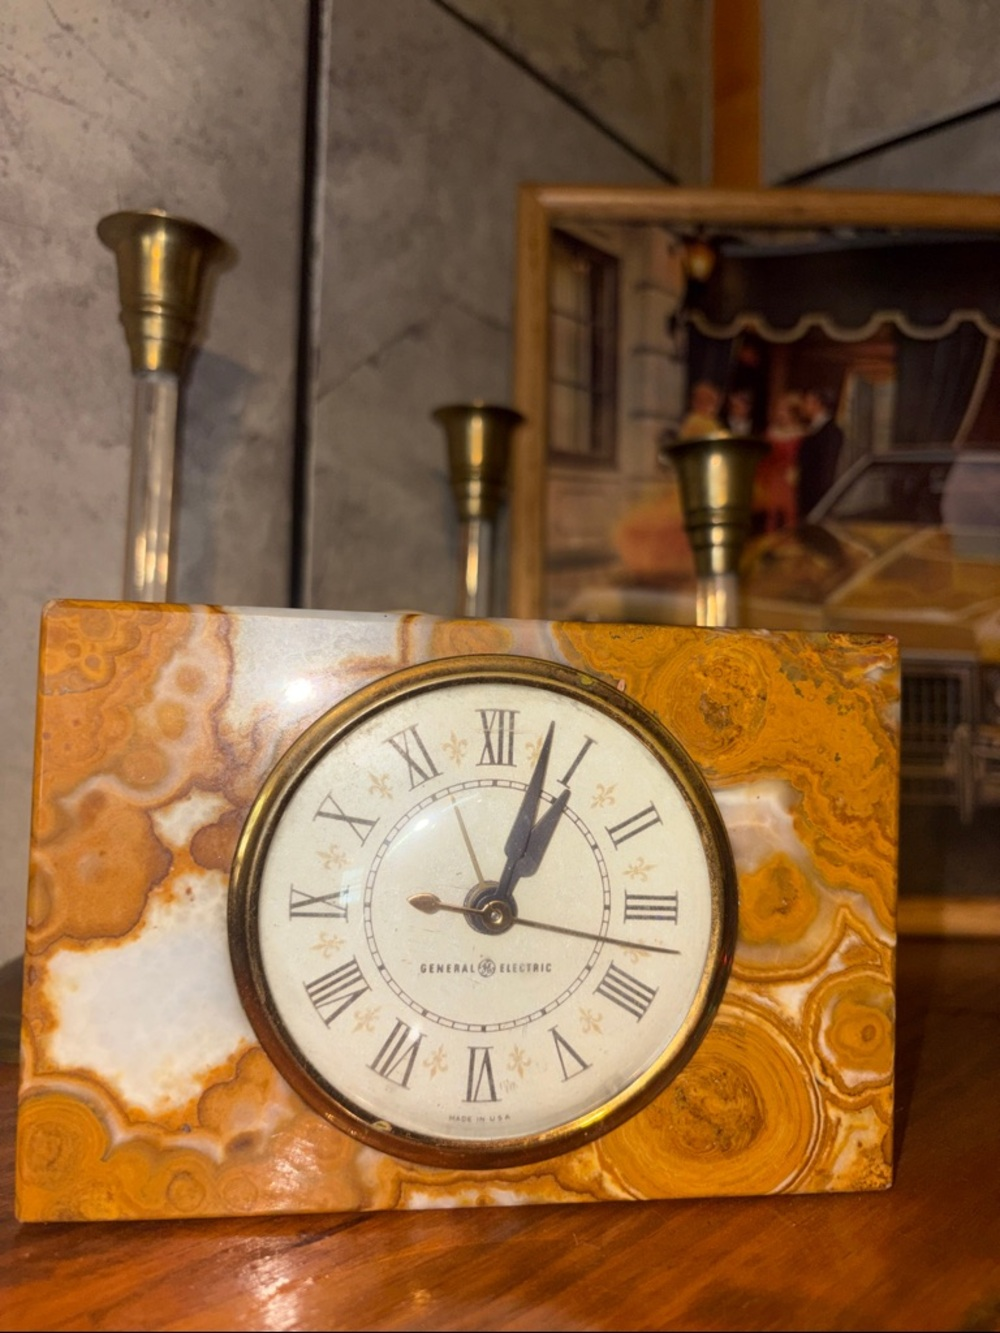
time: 1:02
